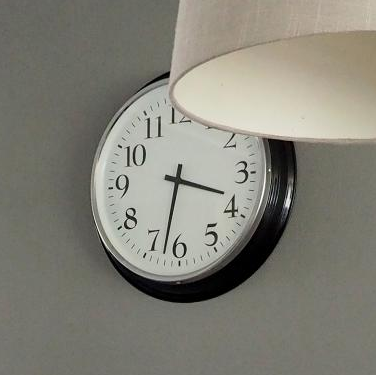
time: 3:32
